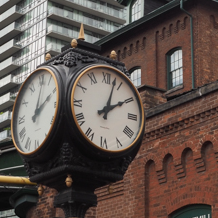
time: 2:03
